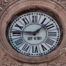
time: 1:46
